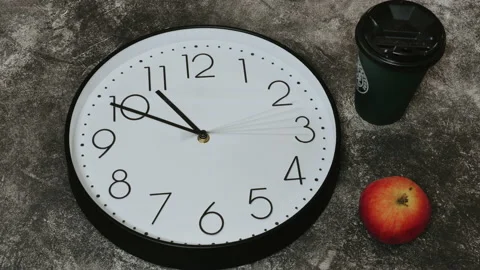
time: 10:49
